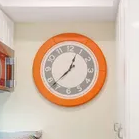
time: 12:37
